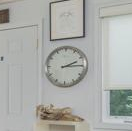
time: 2:14
